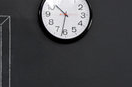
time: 10:31
